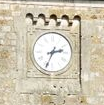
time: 2:34
